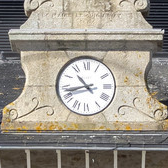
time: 10:42
